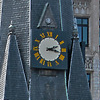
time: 2:17
